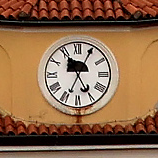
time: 11:04
